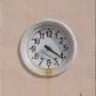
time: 4:20
